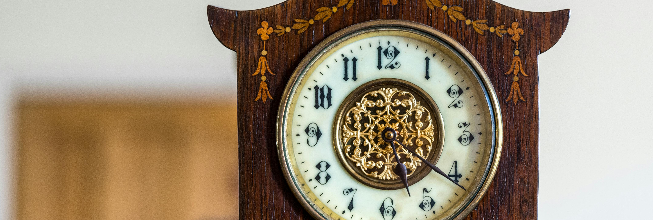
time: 5:20
